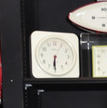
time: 6:30
